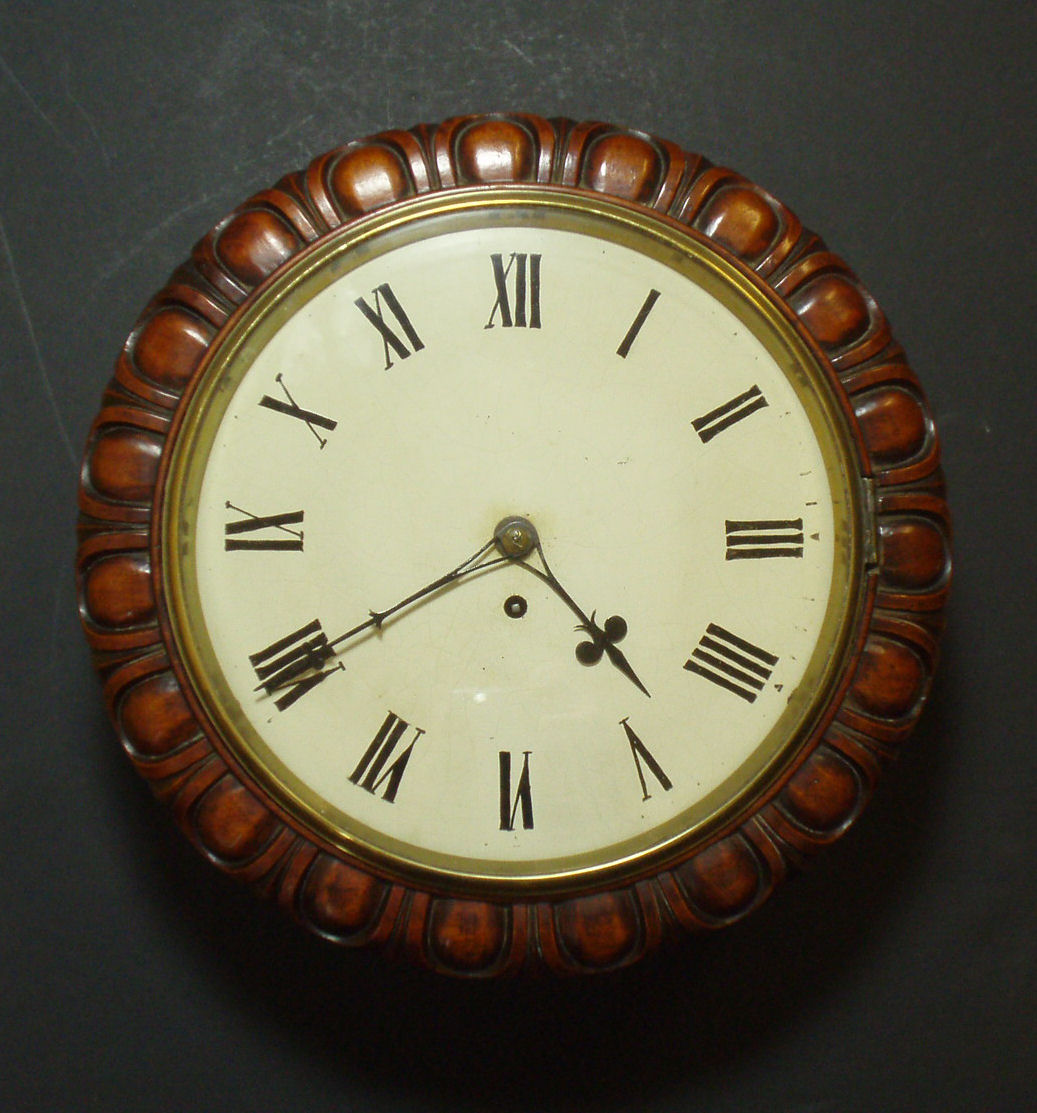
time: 4:39
